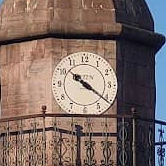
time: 10:21
